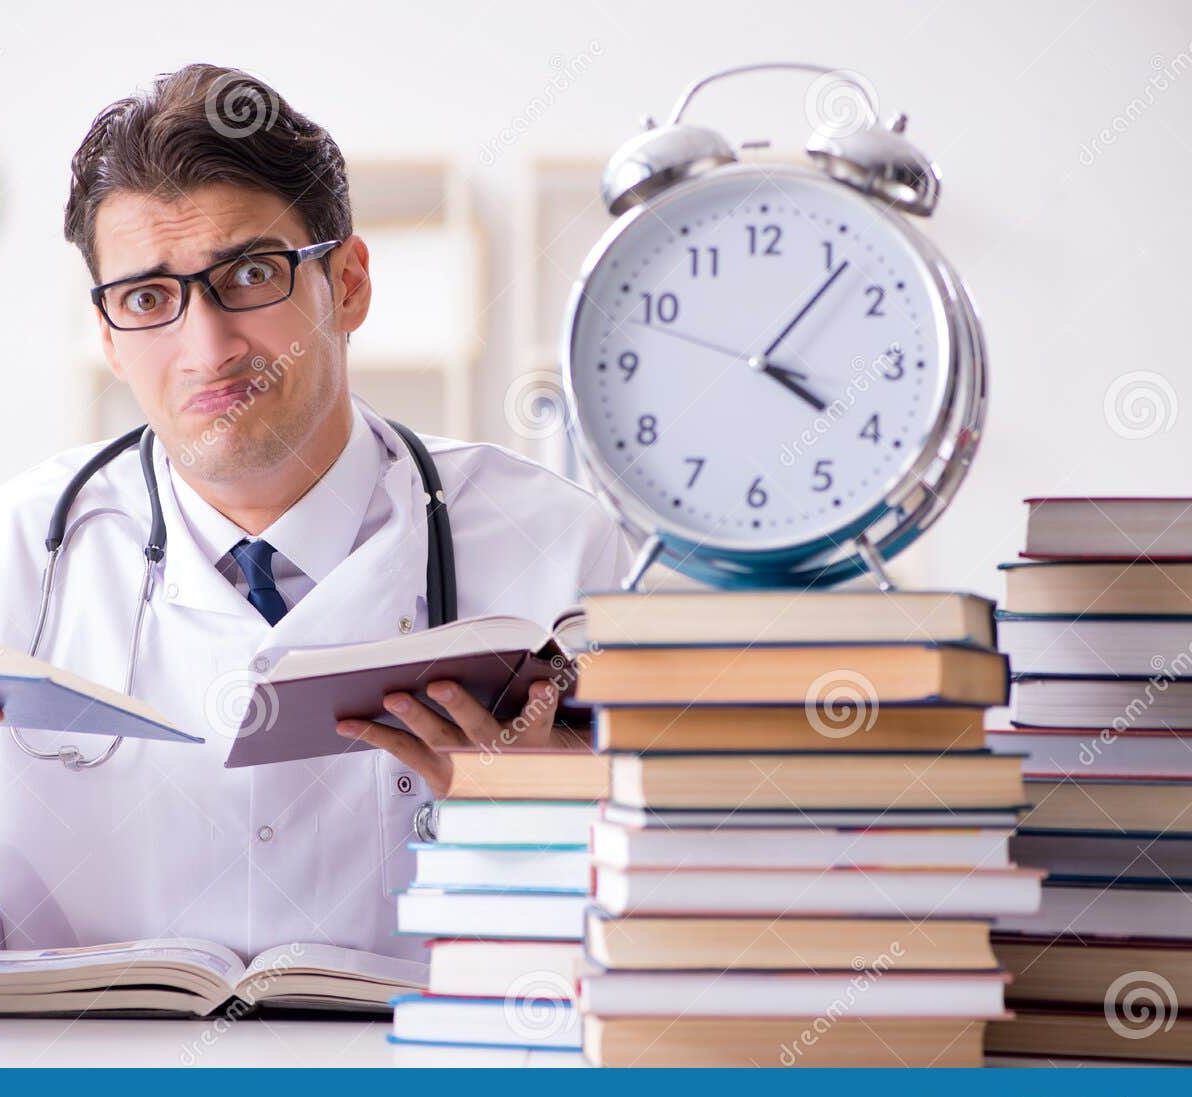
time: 4:06
